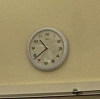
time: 10:38
